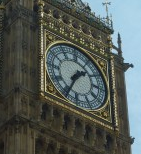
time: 1:34
